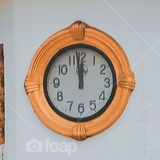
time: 11:58
